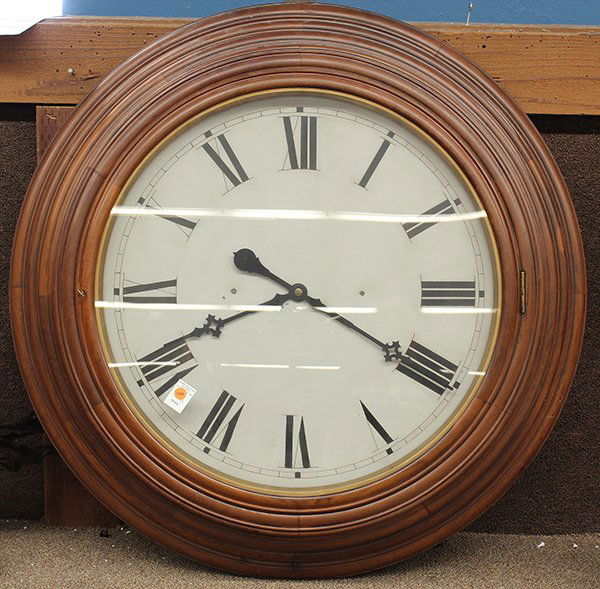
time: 8:19
